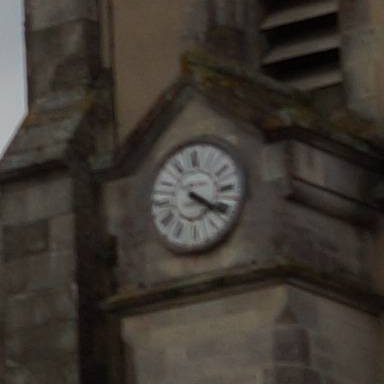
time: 4:20
